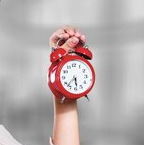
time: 5:37
